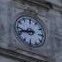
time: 8:42
